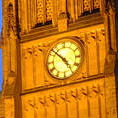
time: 4:52
